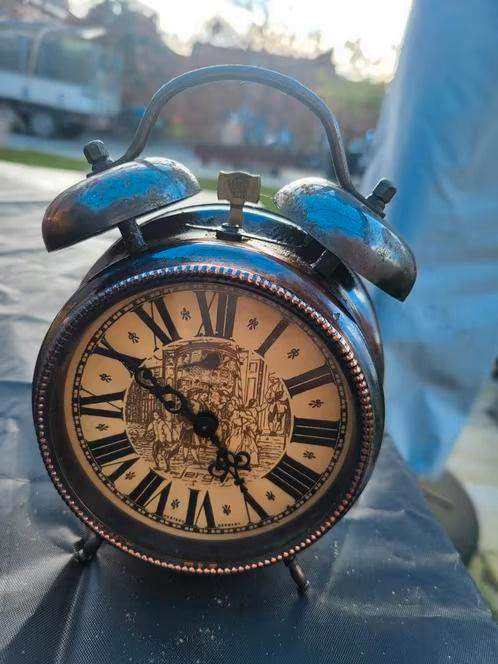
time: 4:50
